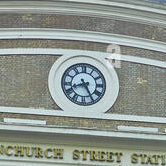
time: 8:25
